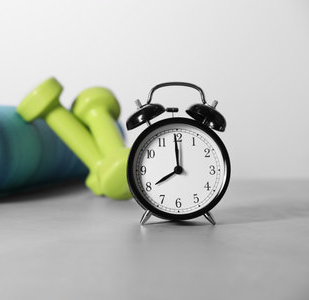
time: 7:59
